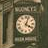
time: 4:03
